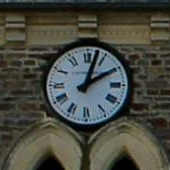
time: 2:02
